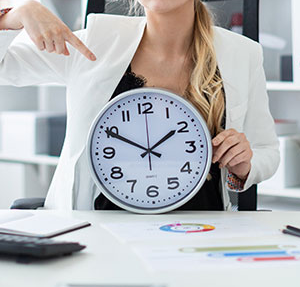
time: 1:49
